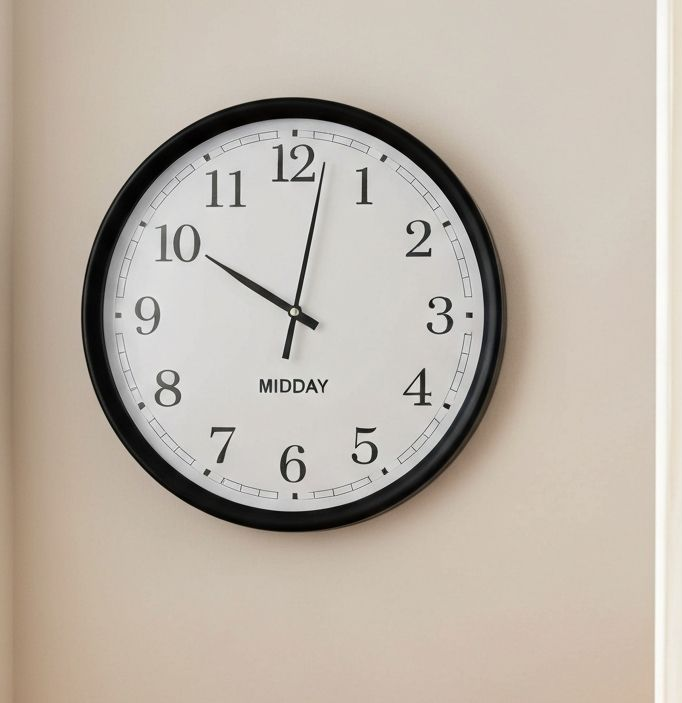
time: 10:01
